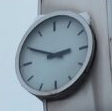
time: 2:49
